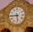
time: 5:44
